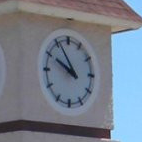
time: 9:55
